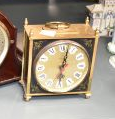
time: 6:02
